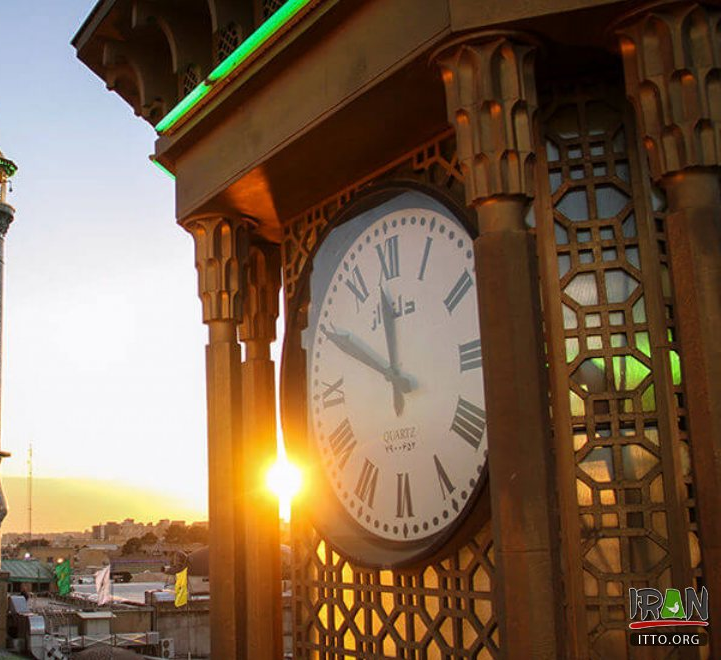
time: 11:49
